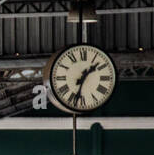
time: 1:32
